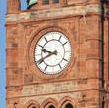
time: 9:41
